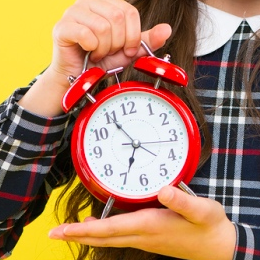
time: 6:55
